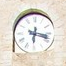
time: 6:17
